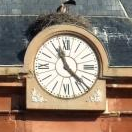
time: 11:22
